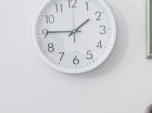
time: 1:45
